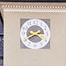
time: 2:40
